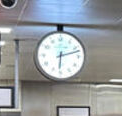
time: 6:12
